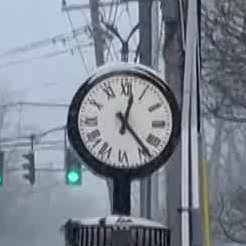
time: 12:23
